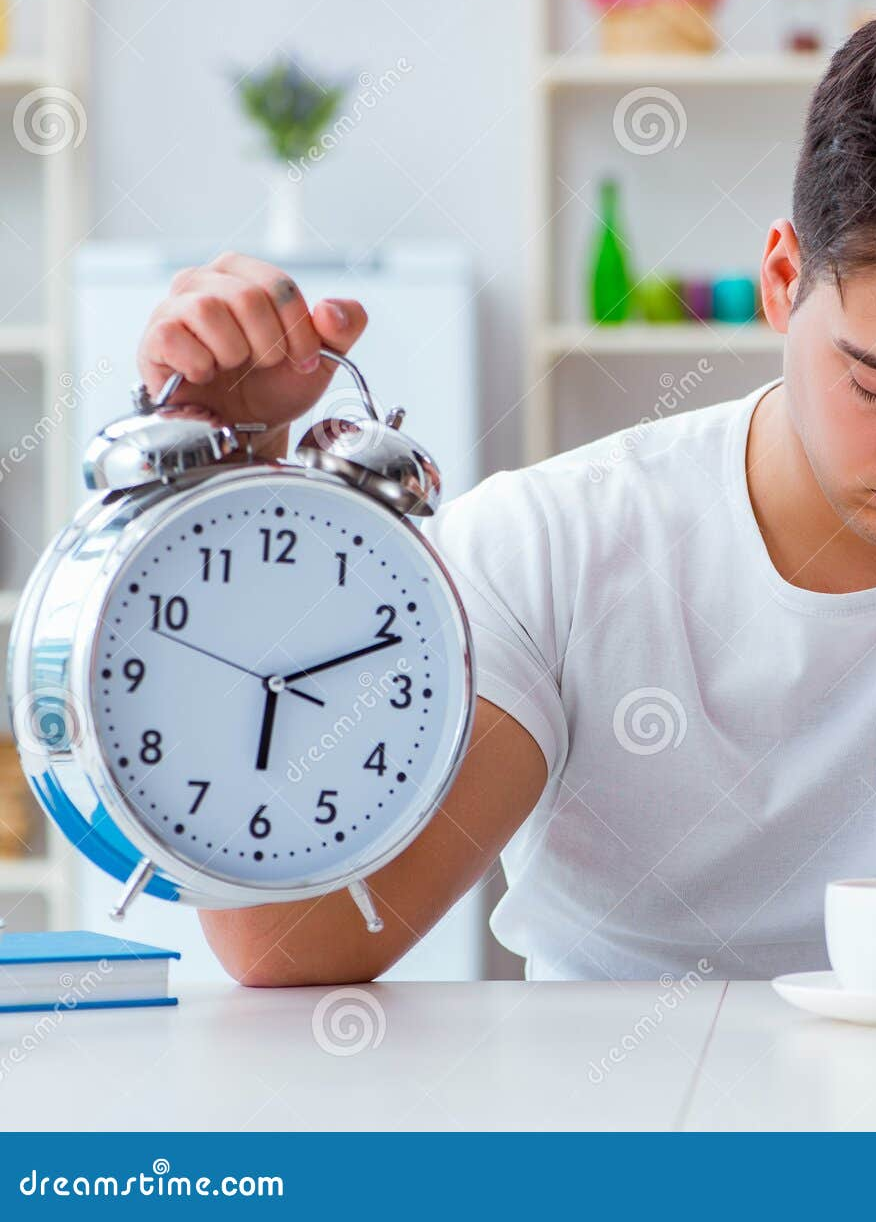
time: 6:11
